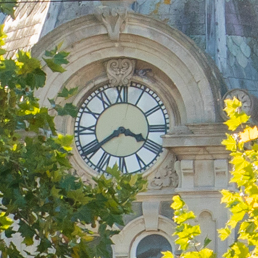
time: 3:39
